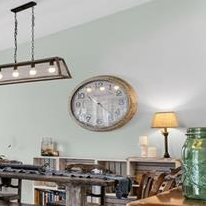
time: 10:30
